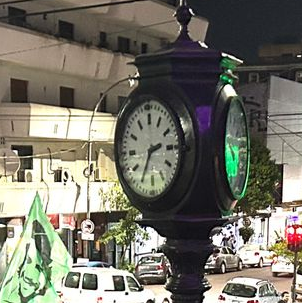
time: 2:34
